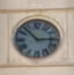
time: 2:52
